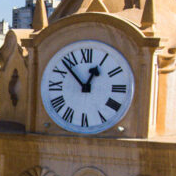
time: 12:52
